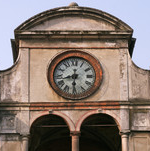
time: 8:30
